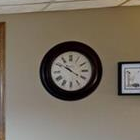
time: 10:20
